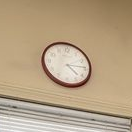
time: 4:14
